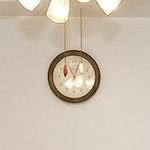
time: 11:03
